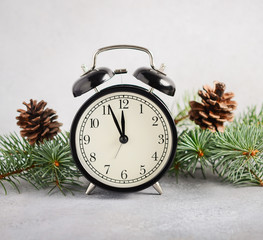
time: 11:56
